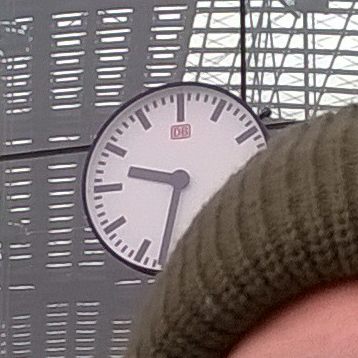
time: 9:32
